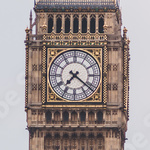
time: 7:21
